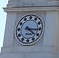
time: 4:15
